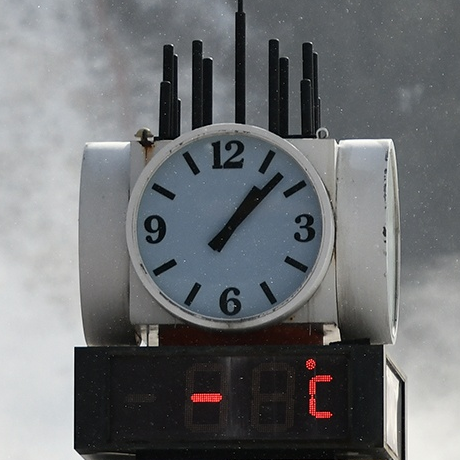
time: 1:07
